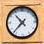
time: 10:37
